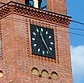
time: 11:24
